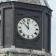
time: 11:52
